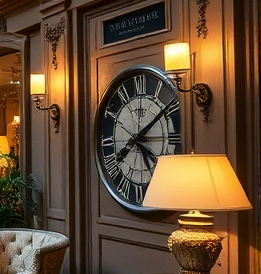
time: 5:09
